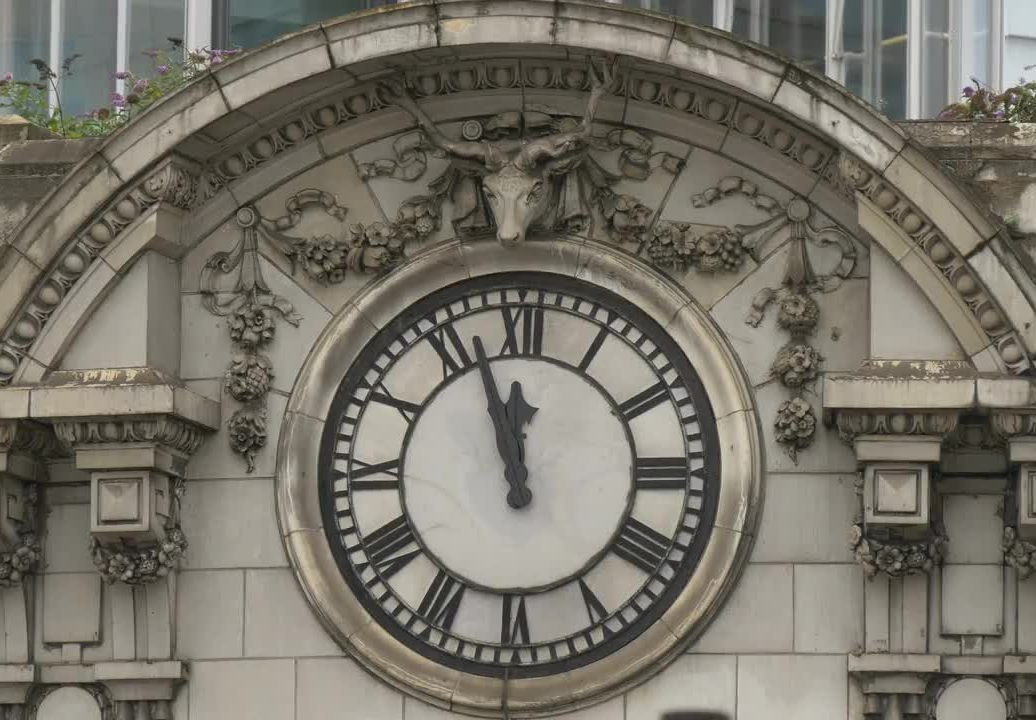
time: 11:56
